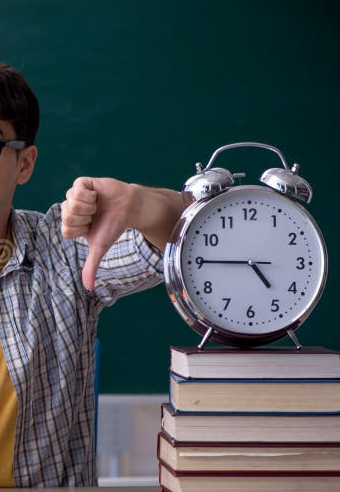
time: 4:45
